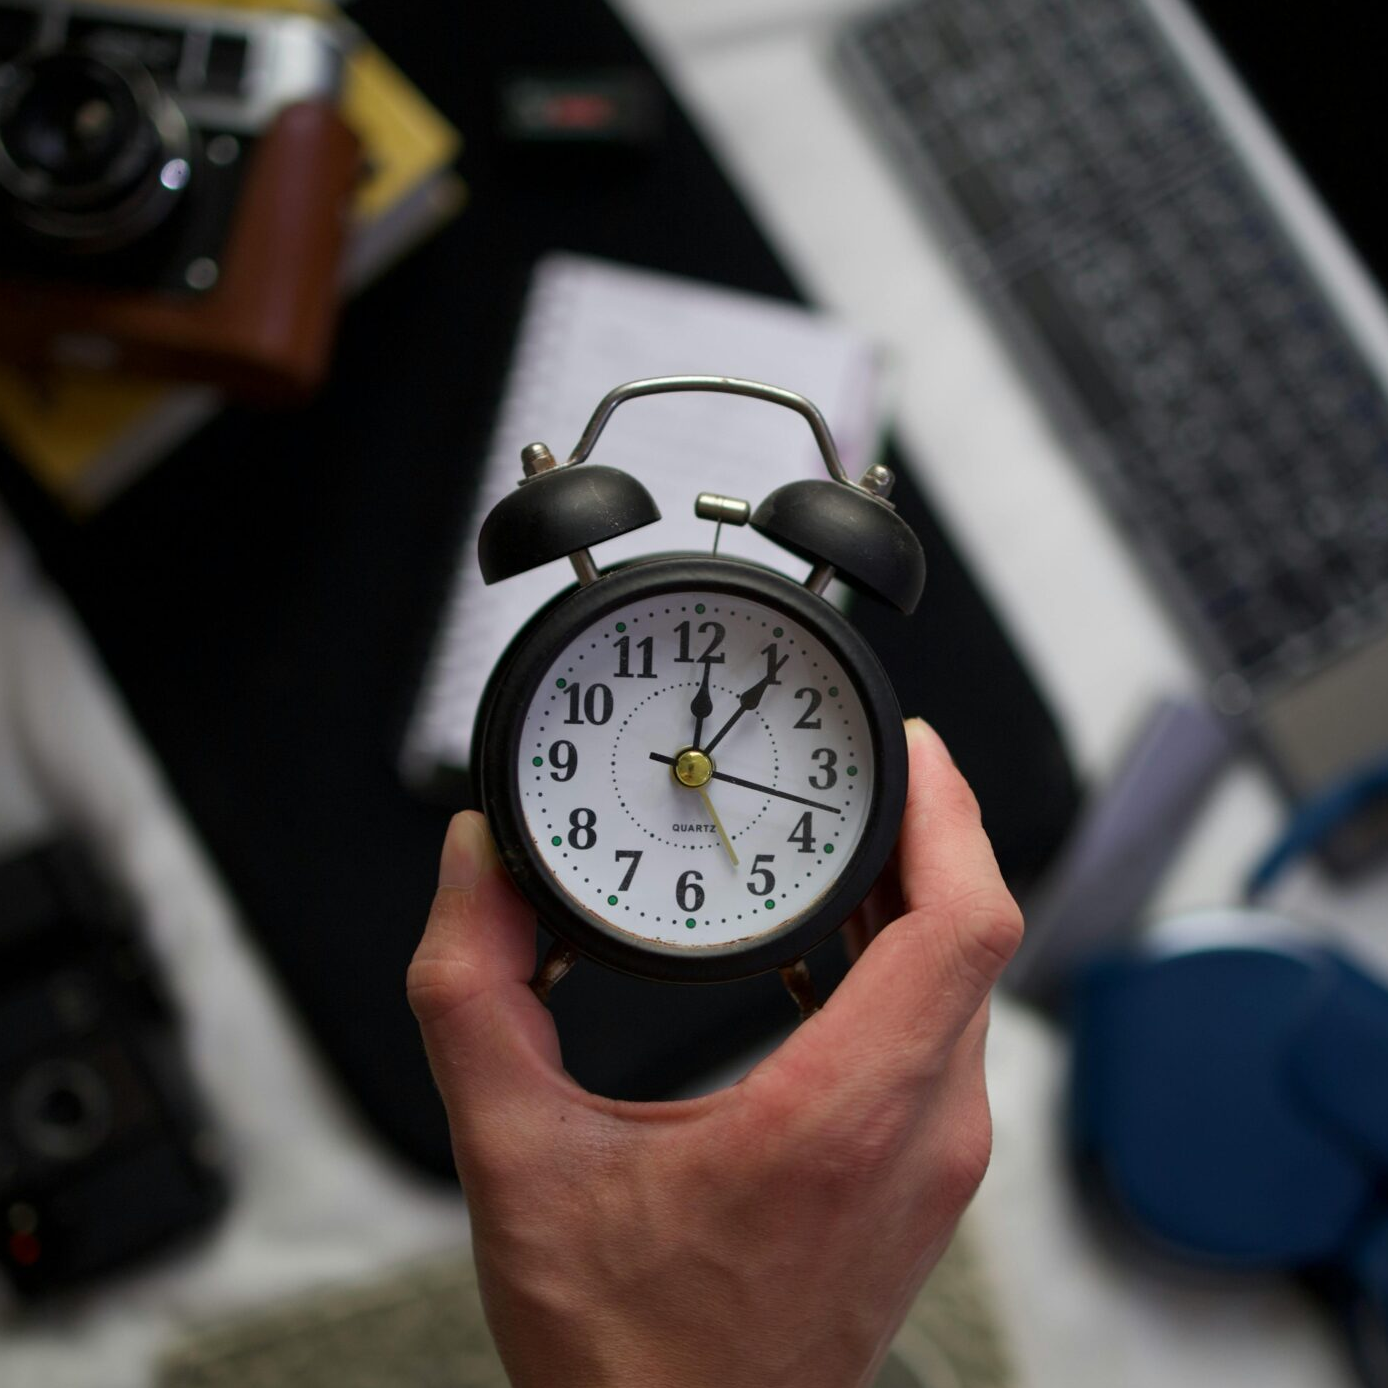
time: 12:06
